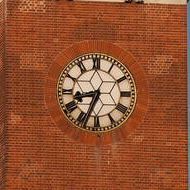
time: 8:34
